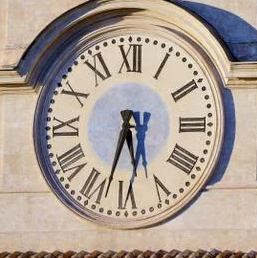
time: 5:32
